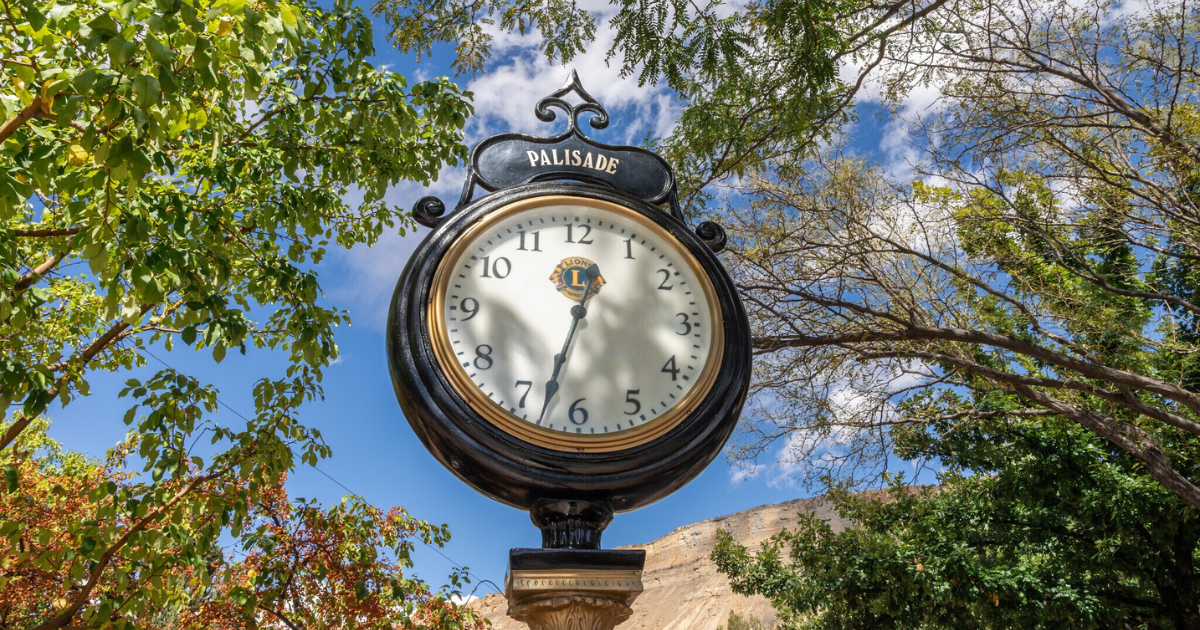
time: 12:33
